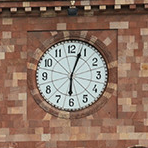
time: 6:03
